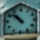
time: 10:52
